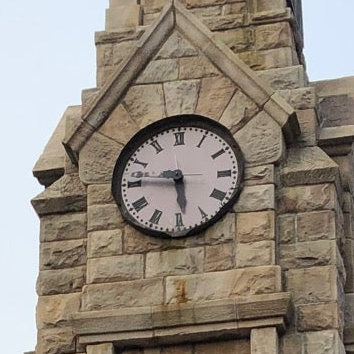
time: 5:45
